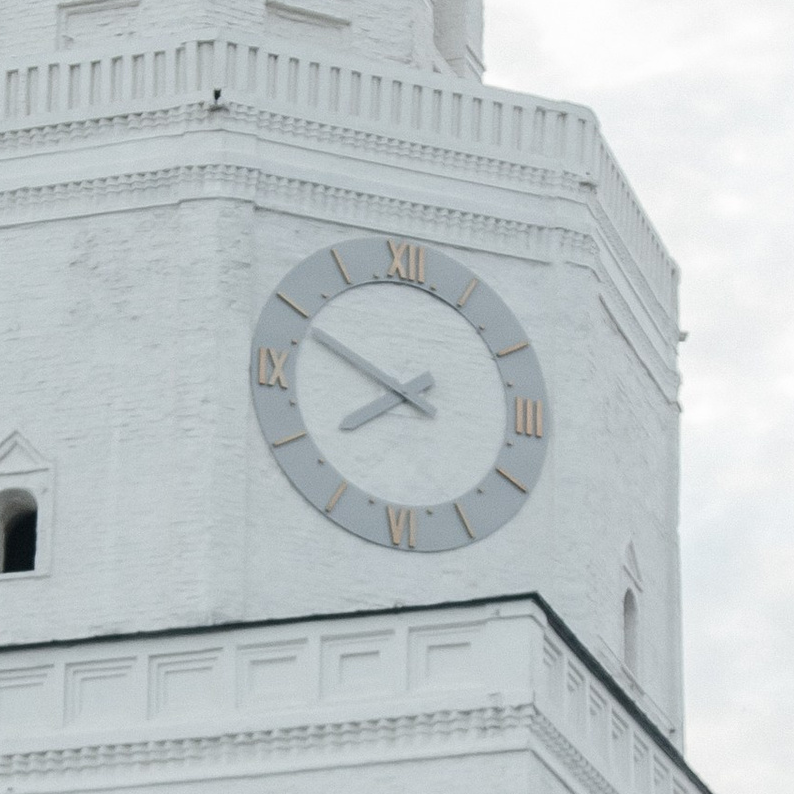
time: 7:49
